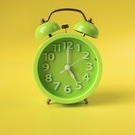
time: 5:00
